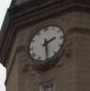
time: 2:29
